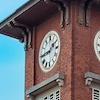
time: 1:44
